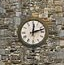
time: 12:12
